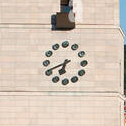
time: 6:41
